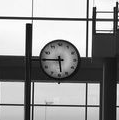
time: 5:45
